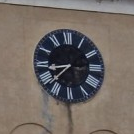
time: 8:37
